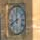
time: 11:41
